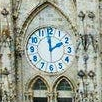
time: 1:59
